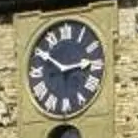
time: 2:50
